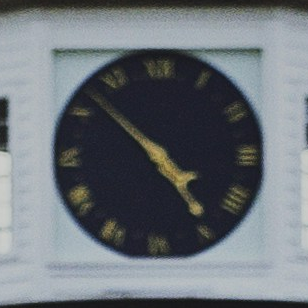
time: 4:52
